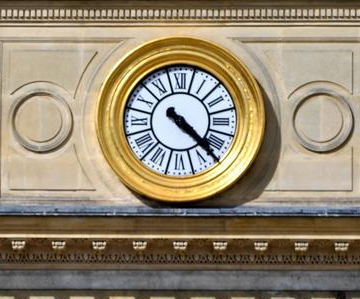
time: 4:22
